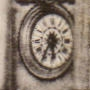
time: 5:35
